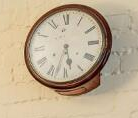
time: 5:33
